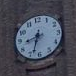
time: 8:33
